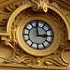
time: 2:58
